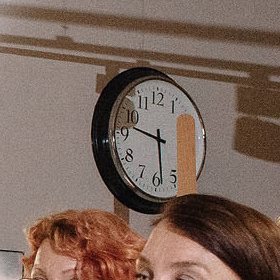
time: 9:28
